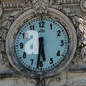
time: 5:31
